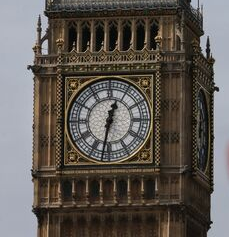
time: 12:32
